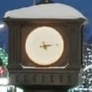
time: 5:14
